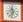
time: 11:32
